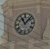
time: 11:07
